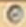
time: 8:38
